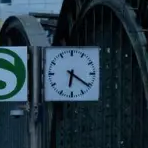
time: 6:20
